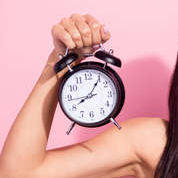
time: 8:05
